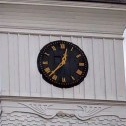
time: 12:37
